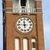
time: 11:45
